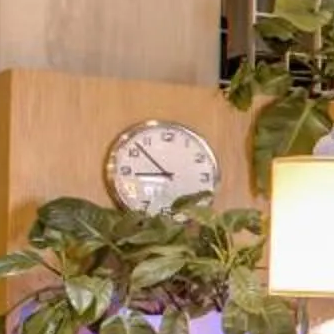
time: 8:52
